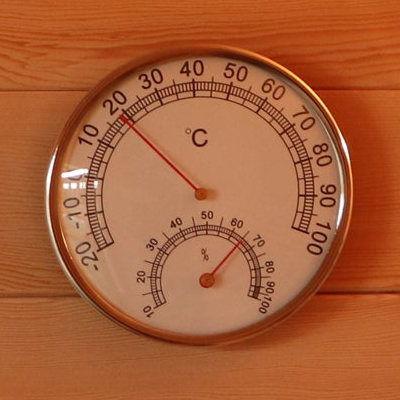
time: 4:52
